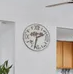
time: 2:32
